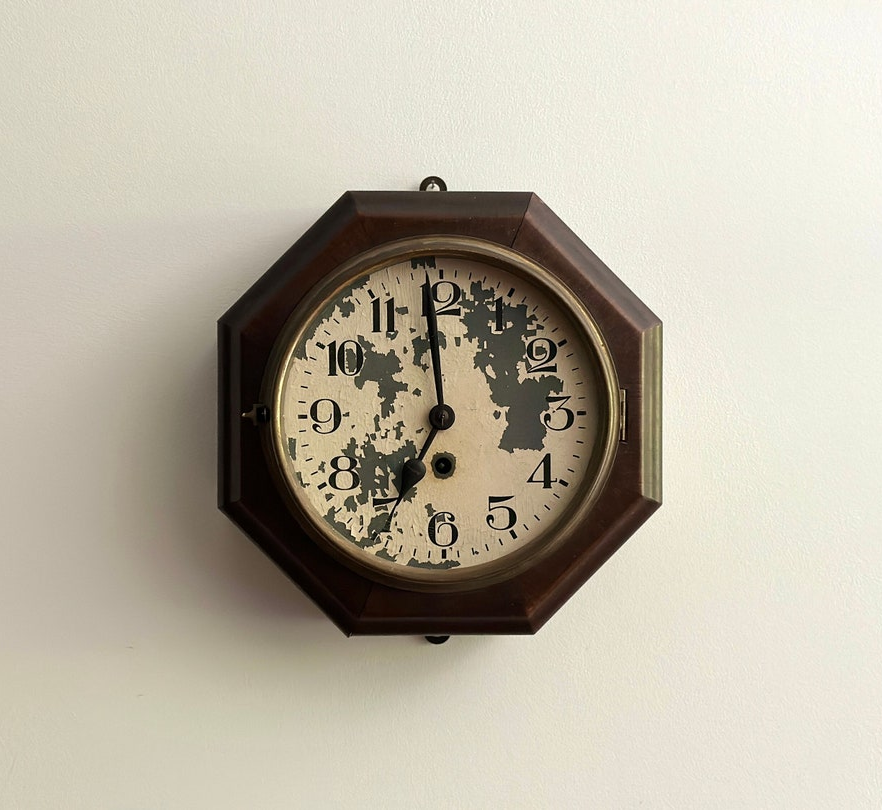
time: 6:59
